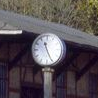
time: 11:25
